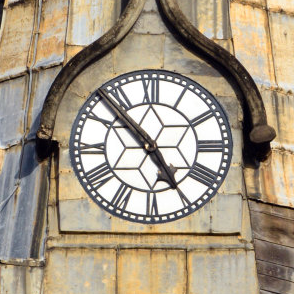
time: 4:52
